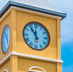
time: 11:54
